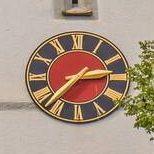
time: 2:37
